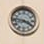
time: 3:46
